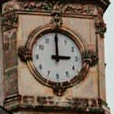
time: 2:59
